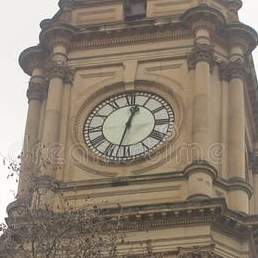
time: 12:32
